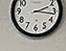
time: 2:16
